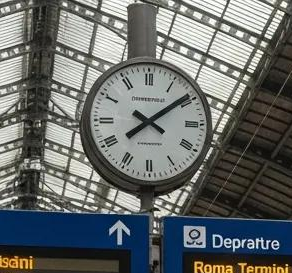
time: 10:08
